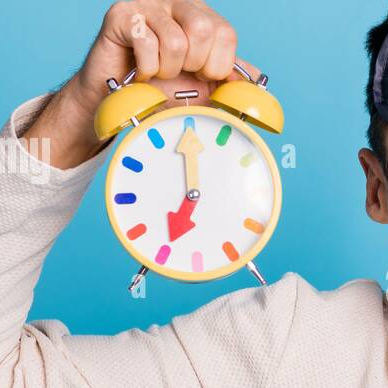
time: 7:00
